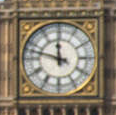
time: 11:47
